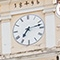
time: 7:12
